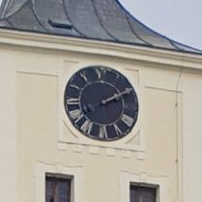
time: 2:09
